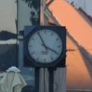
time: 3:55
